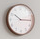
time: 10:15
